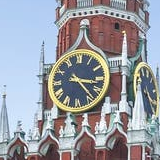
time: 3:23
